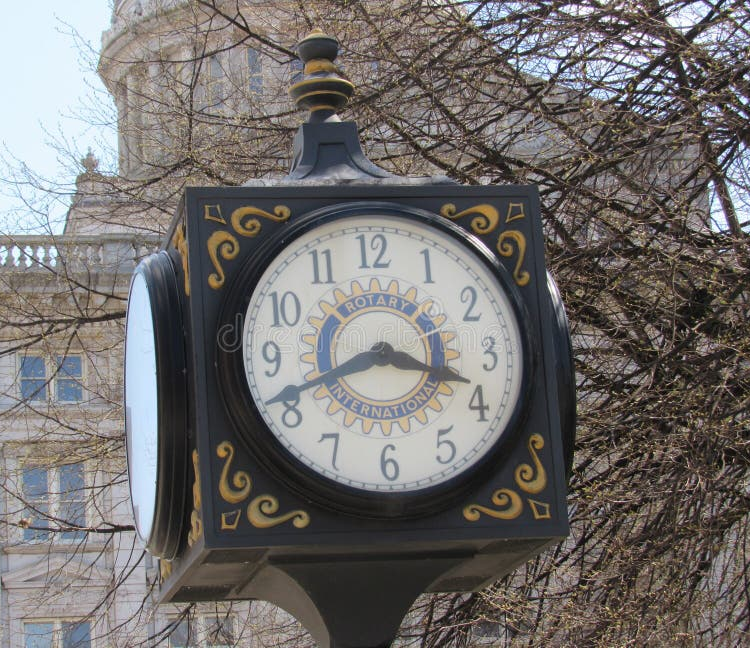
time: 3:41
